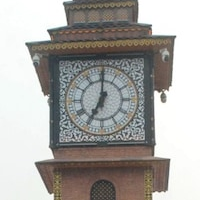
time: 7:00
